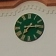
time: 7:14
